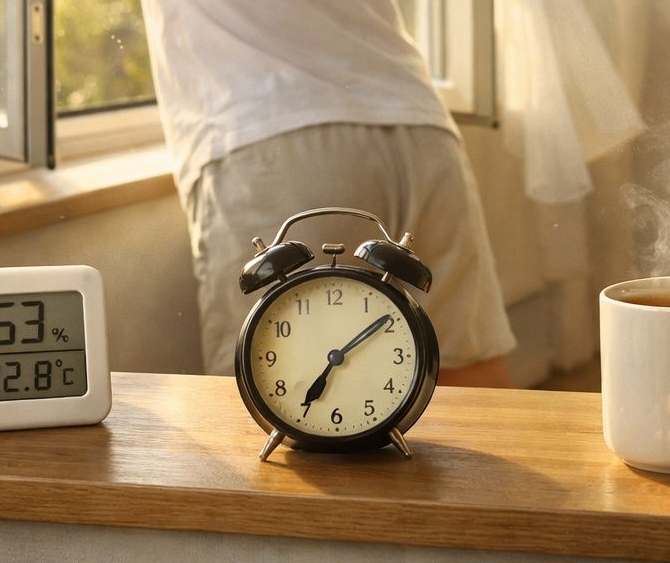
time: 7:09
